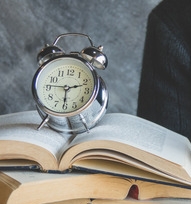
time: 9:12
